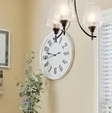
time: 9:43
